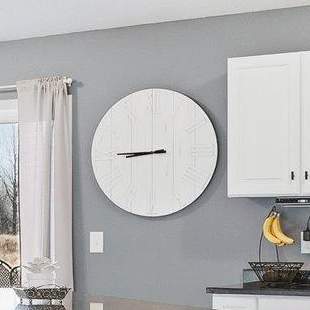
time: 8:45
